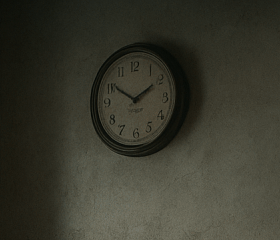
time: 1:50
